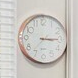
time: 3:14
